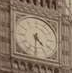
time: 4:30
